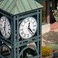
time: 12:23
